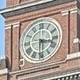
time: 3:30
